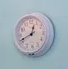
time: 12:41
